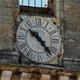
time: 10:23
